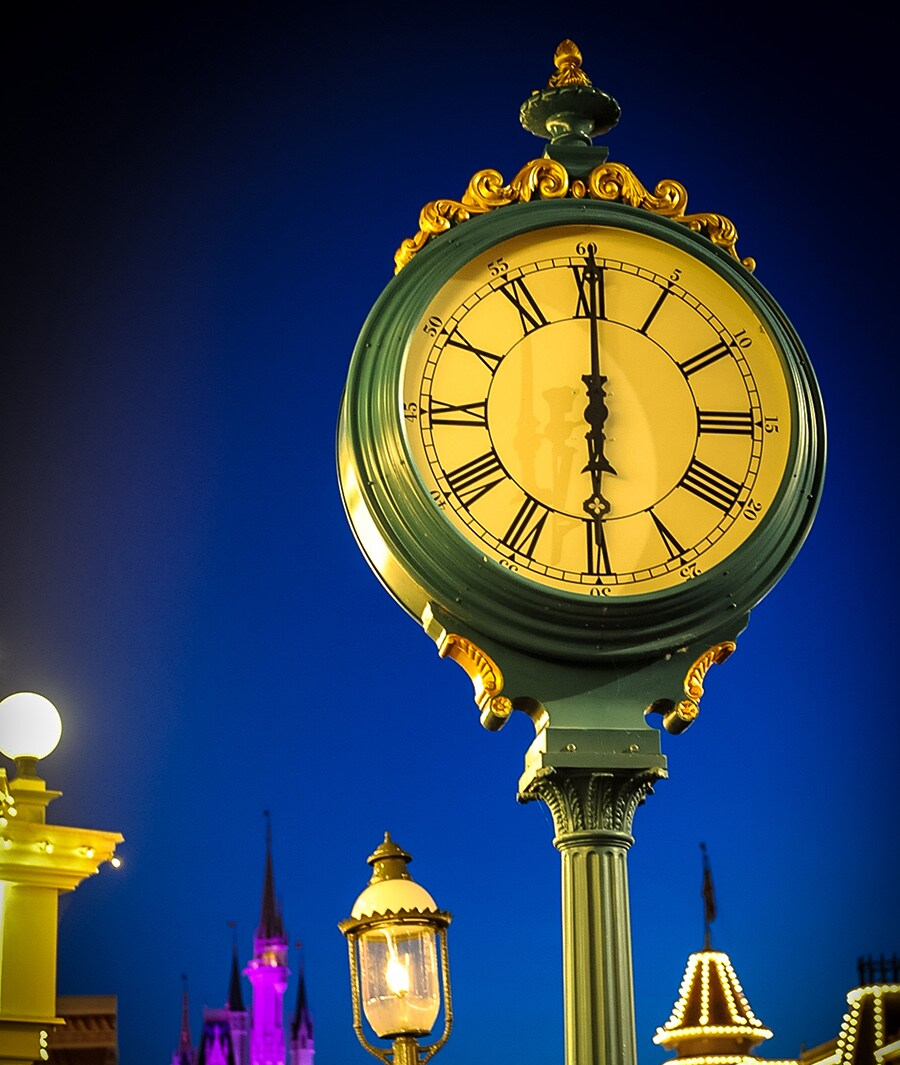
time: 6:00
